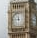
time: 11:45
